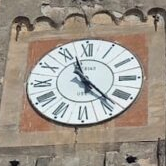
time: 11:22
